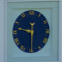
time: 9:29
